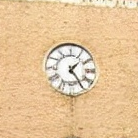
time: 1:24
